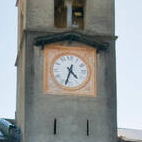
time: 4:33
